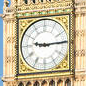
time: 9:14
